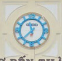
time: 11:37
